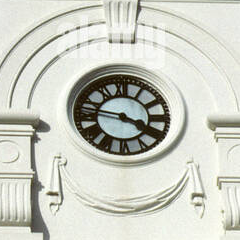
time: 3:46
